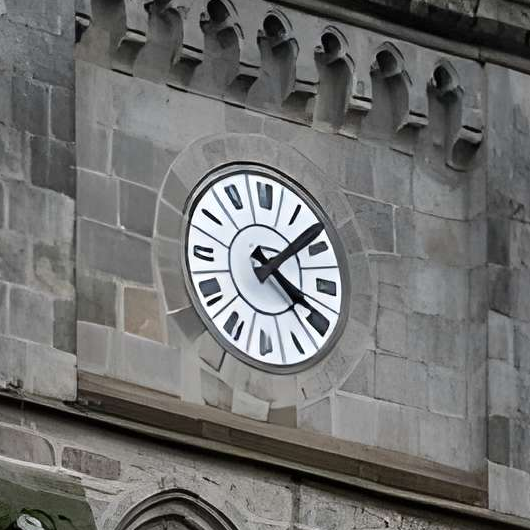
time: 4:08
